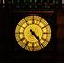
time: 4:23
